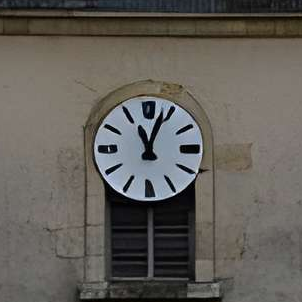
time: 11:03
